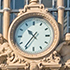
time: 10:36
